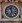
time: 11:33
